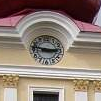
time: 2:46
